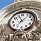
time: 11:07
